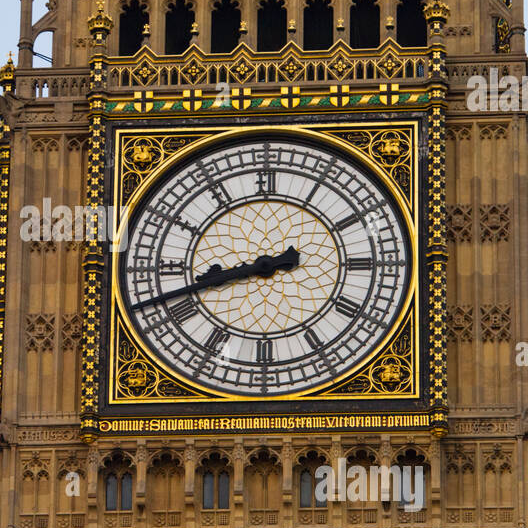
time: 8:41
